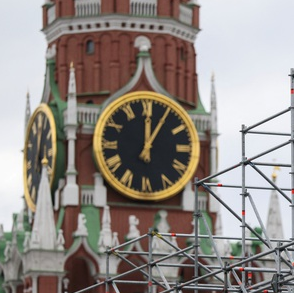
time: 12:05
